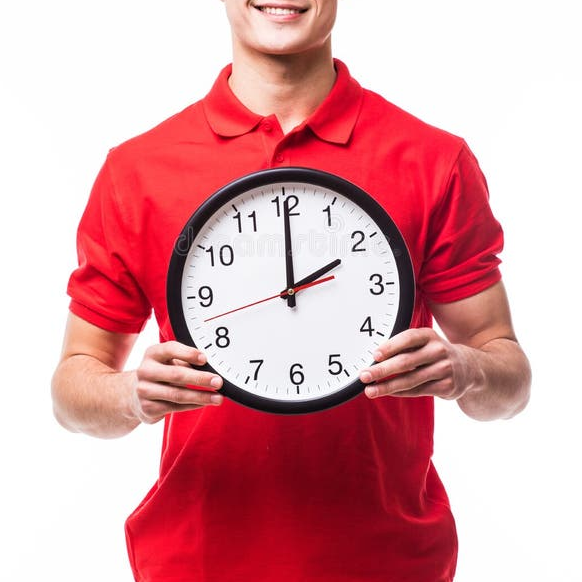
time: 2:00
